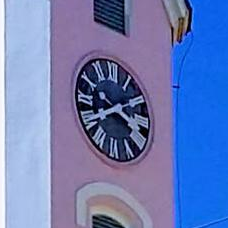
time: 3:40
